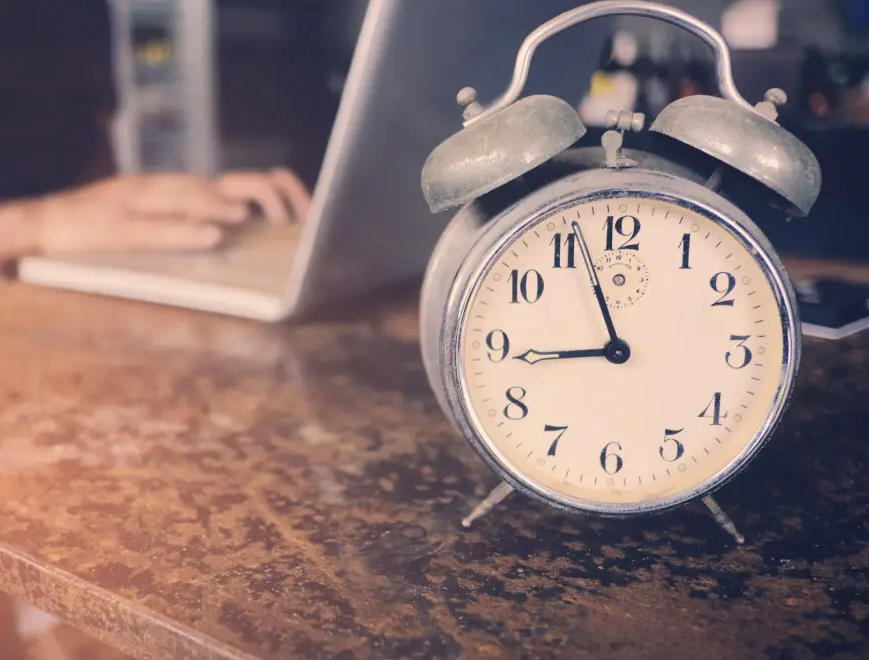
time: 8:56
